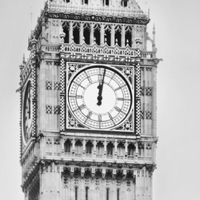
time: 12:01
